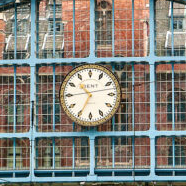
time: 10:34
